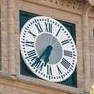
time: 6:36
